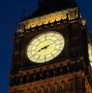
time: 8:11
